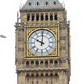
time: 10:00
